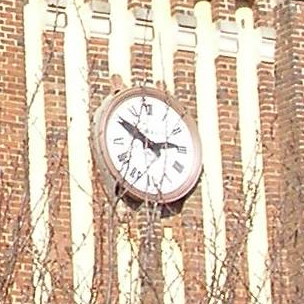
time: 2:50
